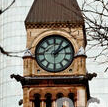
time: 1:09
